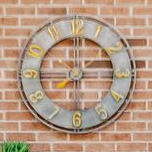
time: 8:00
